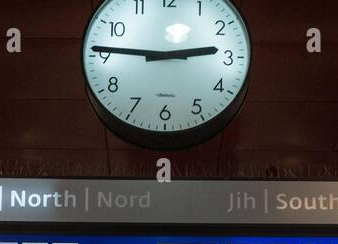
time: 2:45
